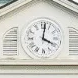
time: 4:01
